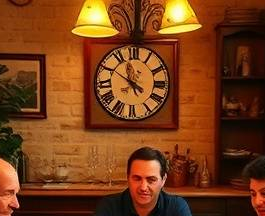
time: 11:50
